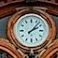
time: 2:07
